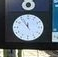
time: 11:54
